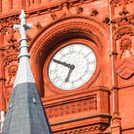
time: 6:50
